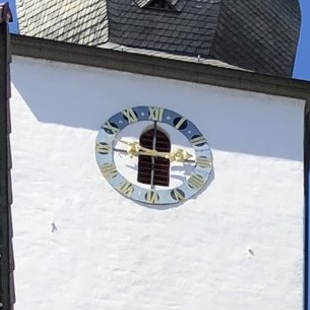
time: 11:46
